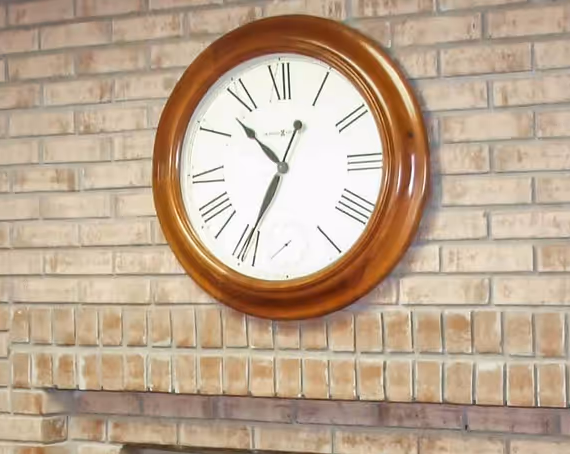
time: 10:34
